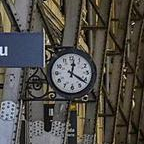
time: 12:21
